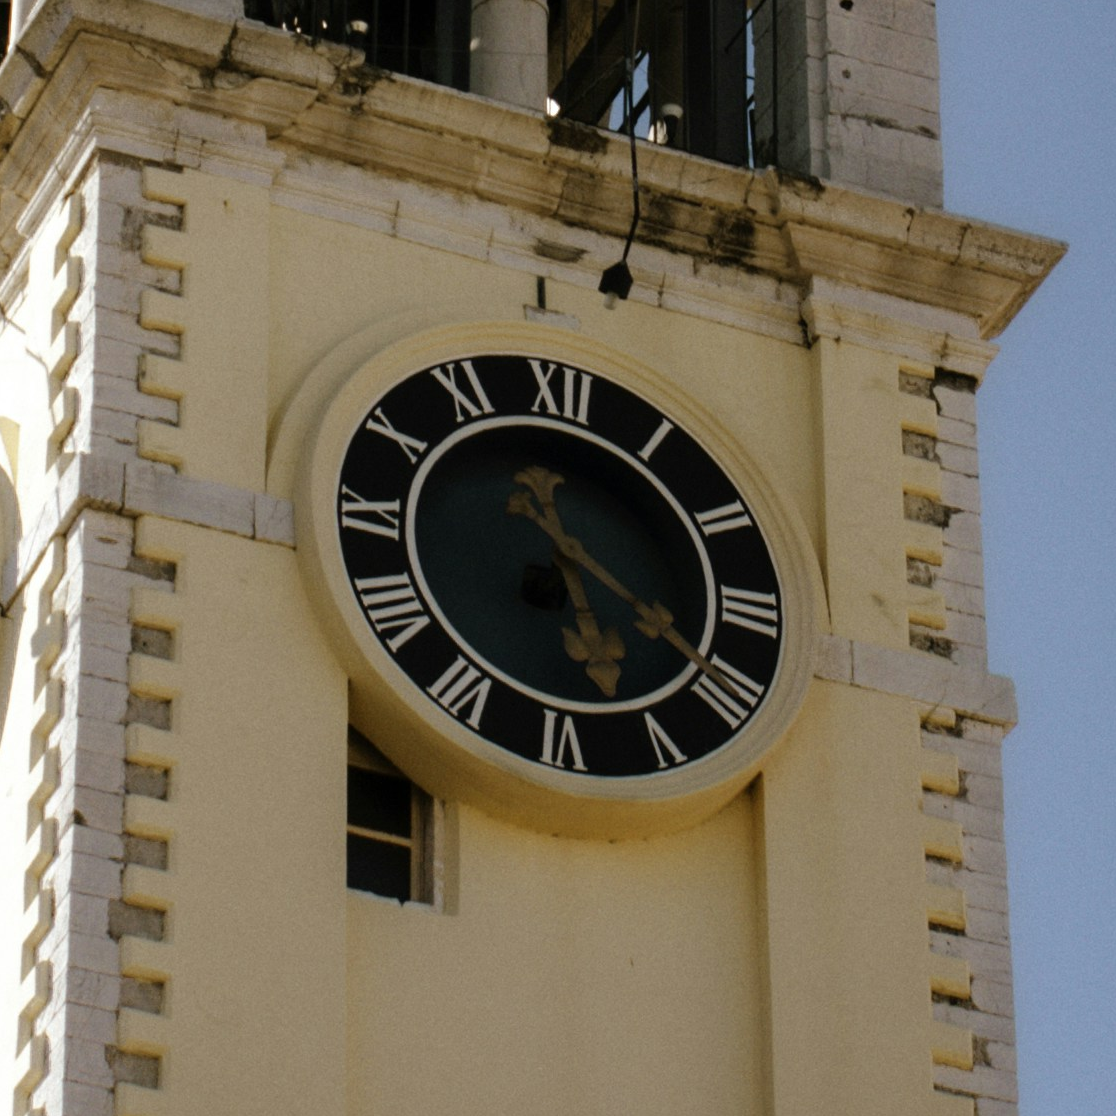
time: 5:19
